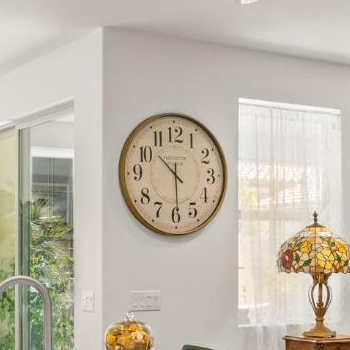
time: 10:29
